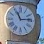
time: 11:13
